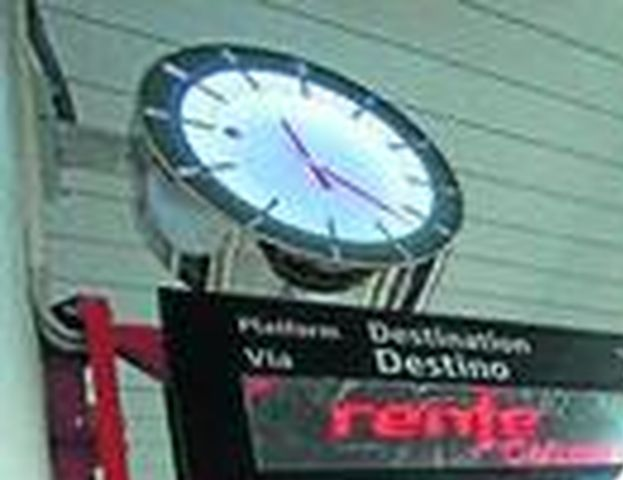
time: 11:21
